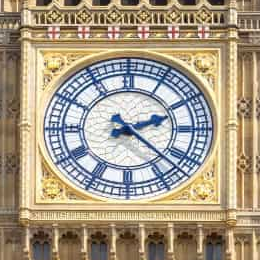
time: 2:21
